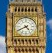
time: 4:40
